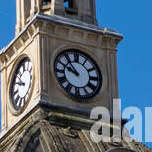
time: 9:53
